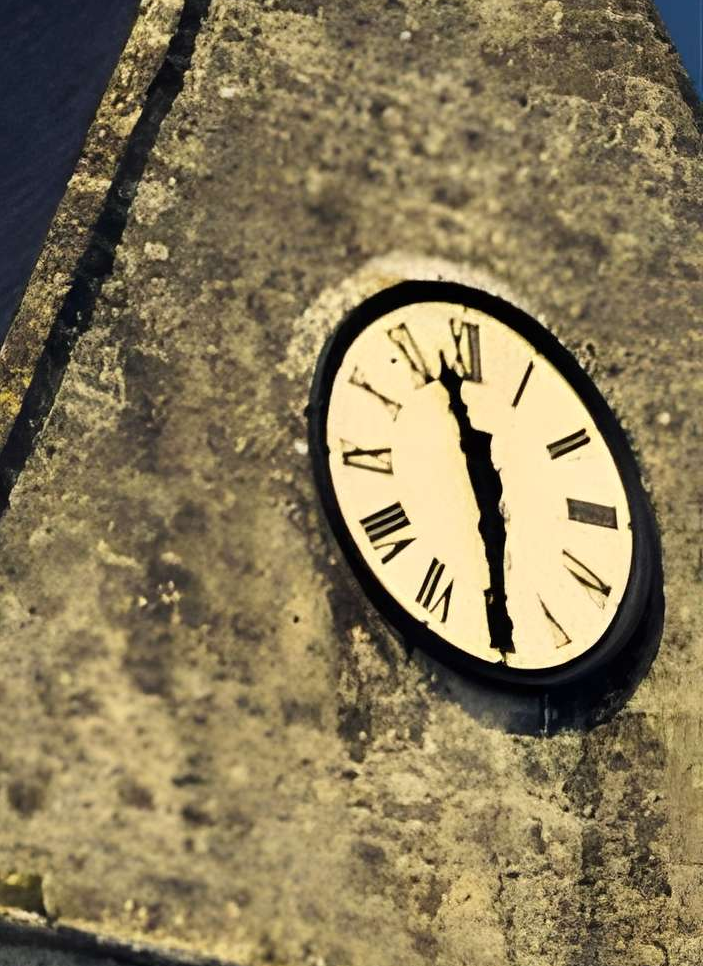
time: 11:29
